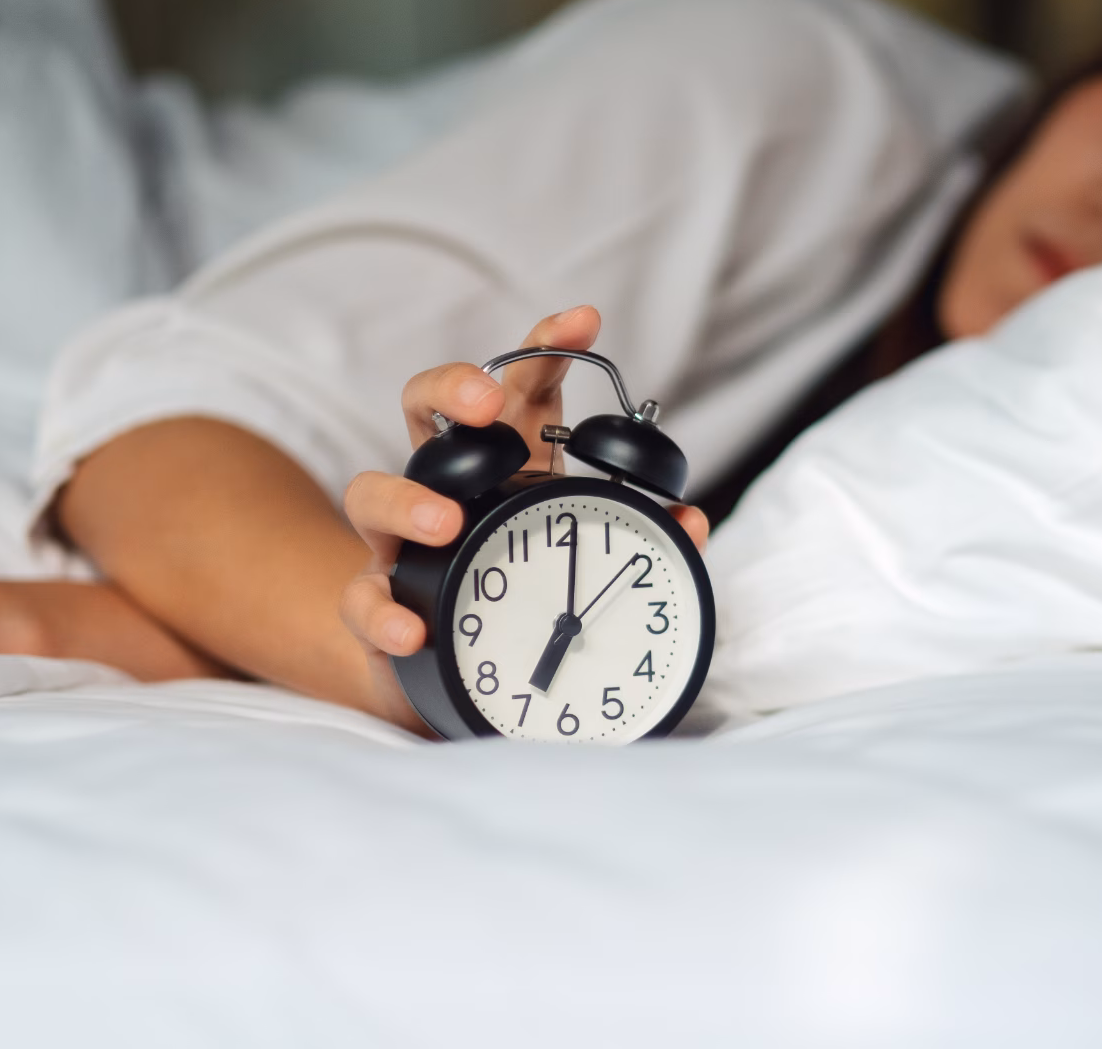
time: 7:01
